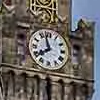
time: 7:57
